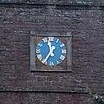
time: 11:35
